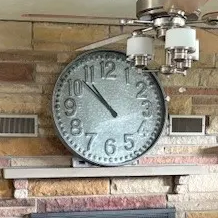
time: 10:52
